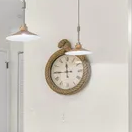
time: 11:44
